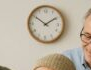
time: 1:50
